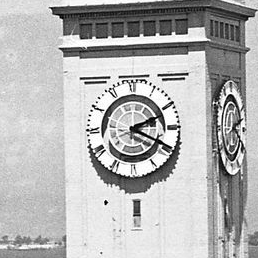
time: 2:19
